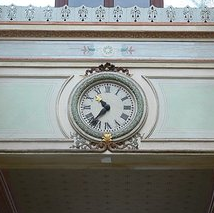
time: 10:36
